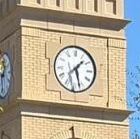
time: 1:27
